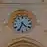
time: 4:34
